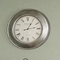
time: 1:13
